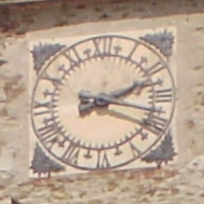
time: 2:18
